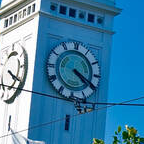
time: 4:19
